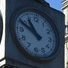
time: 10:49
